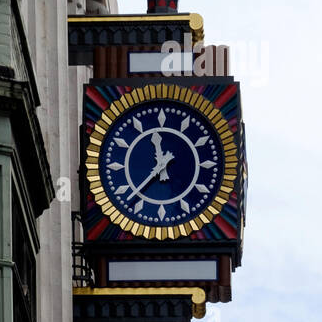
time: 11:37
